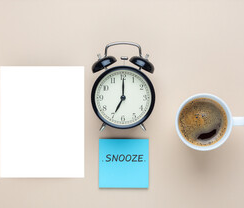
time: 7:00
